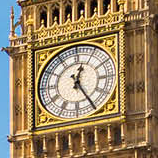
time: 12:24
